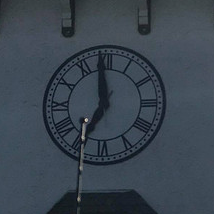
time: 6:58
